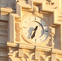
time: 6:34
